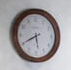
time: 5:40
